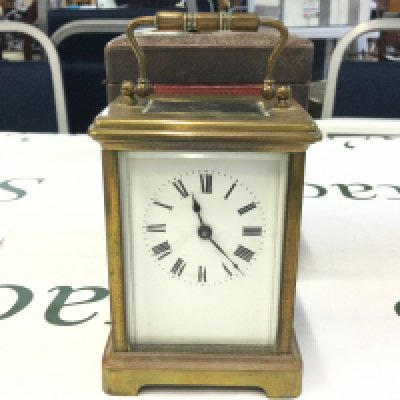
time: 11:21
